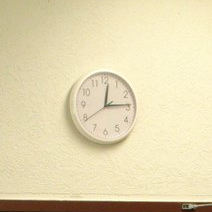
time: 12:14
